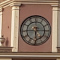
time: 6:14
